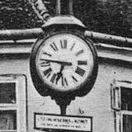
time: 6:46
